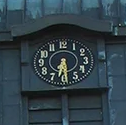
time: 6:29
